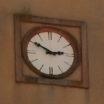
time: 2:50
